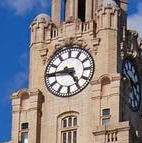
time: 4:45
